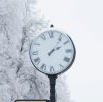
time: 2:06
